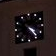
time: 4:23
